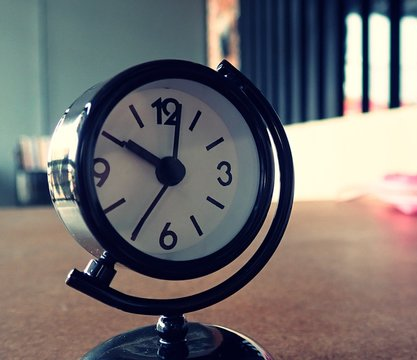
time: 10:01
